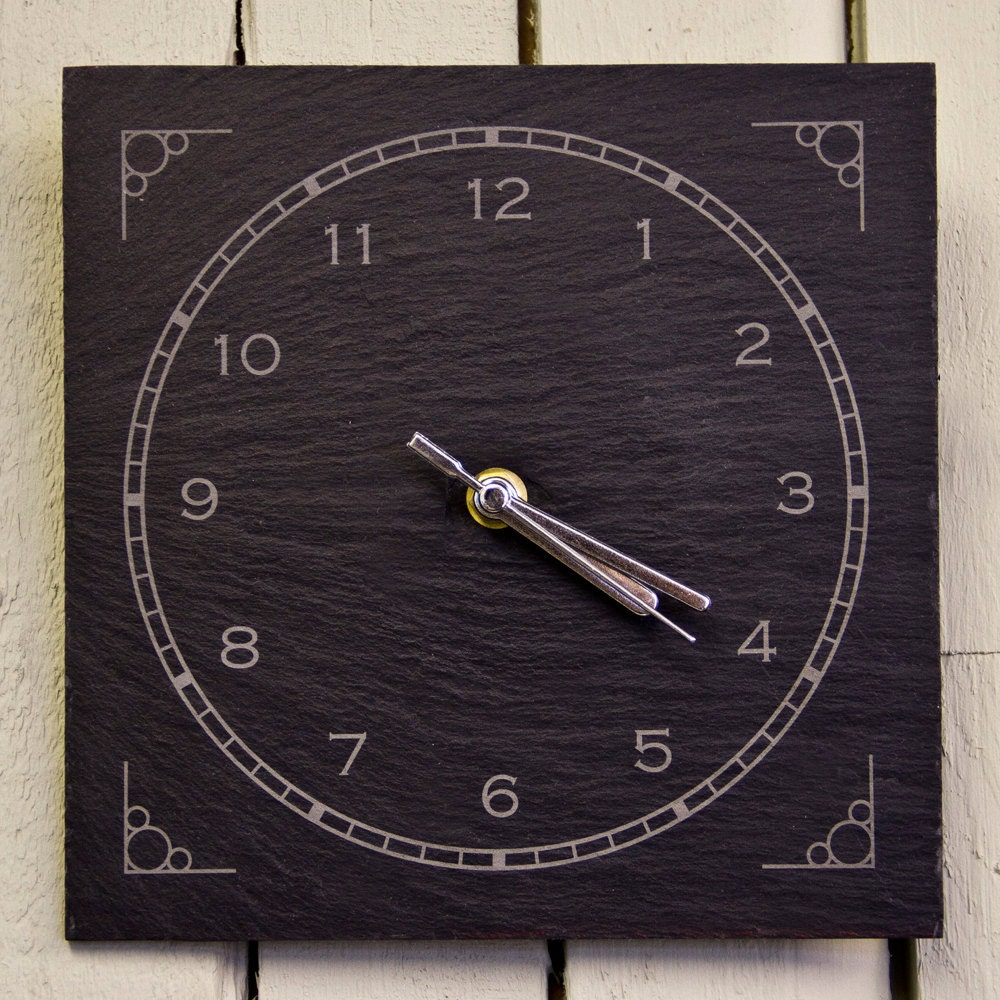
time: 4:20
